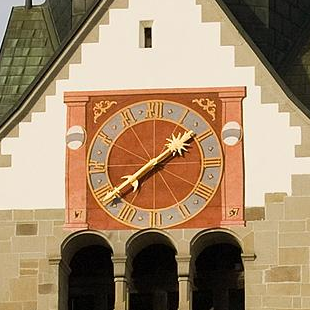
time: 1:38
